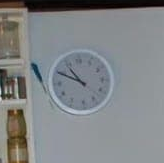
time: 10:49
